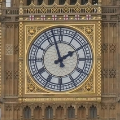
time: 1:57
